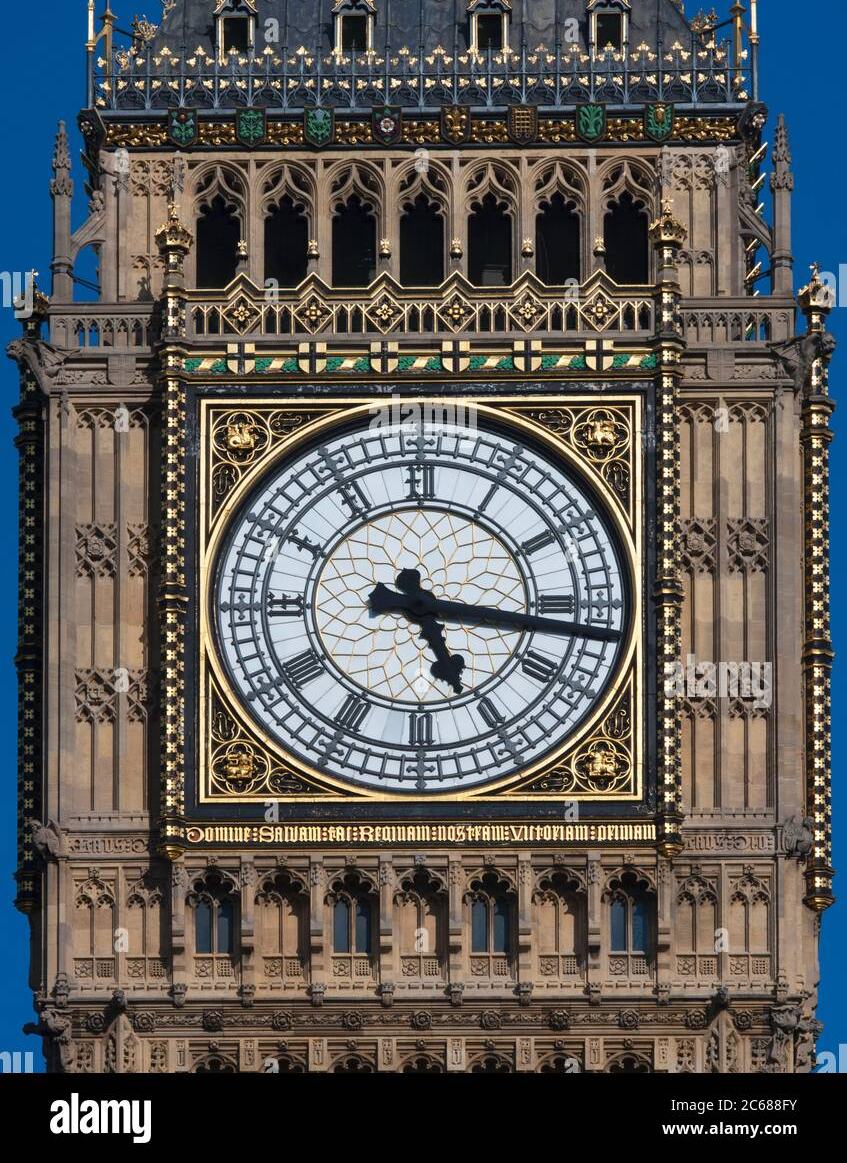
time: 5:16
